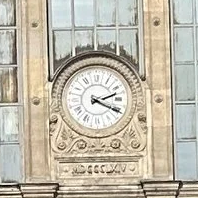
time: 2:19
